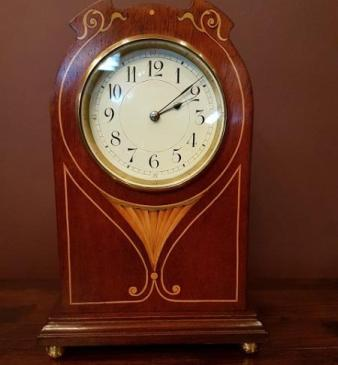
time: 2:09
